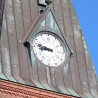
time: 8:47
